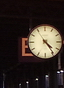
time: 4:23
